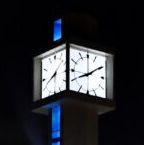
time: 8:09
